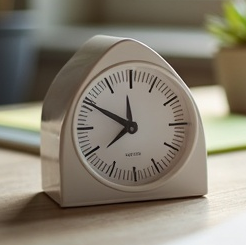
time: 7:49
